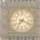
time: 7:18
